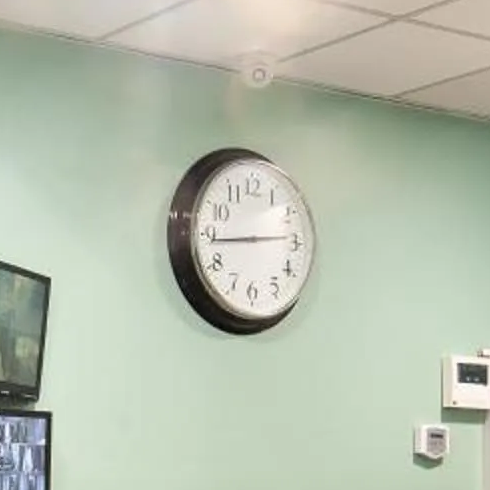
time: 2:44
